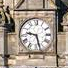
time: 9:28
